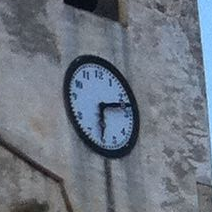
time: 6:12
